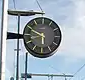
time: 5:49
